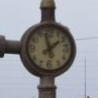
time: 1:57
